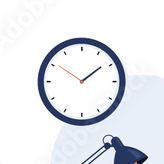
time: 1:50
